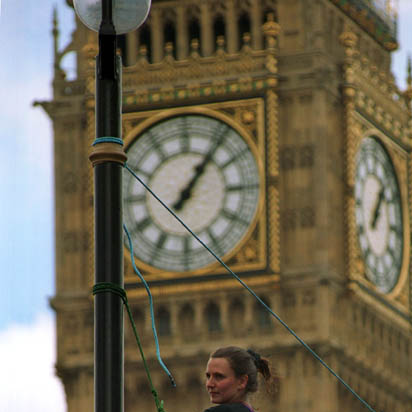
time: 1:06
